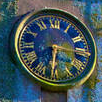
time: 6:15
